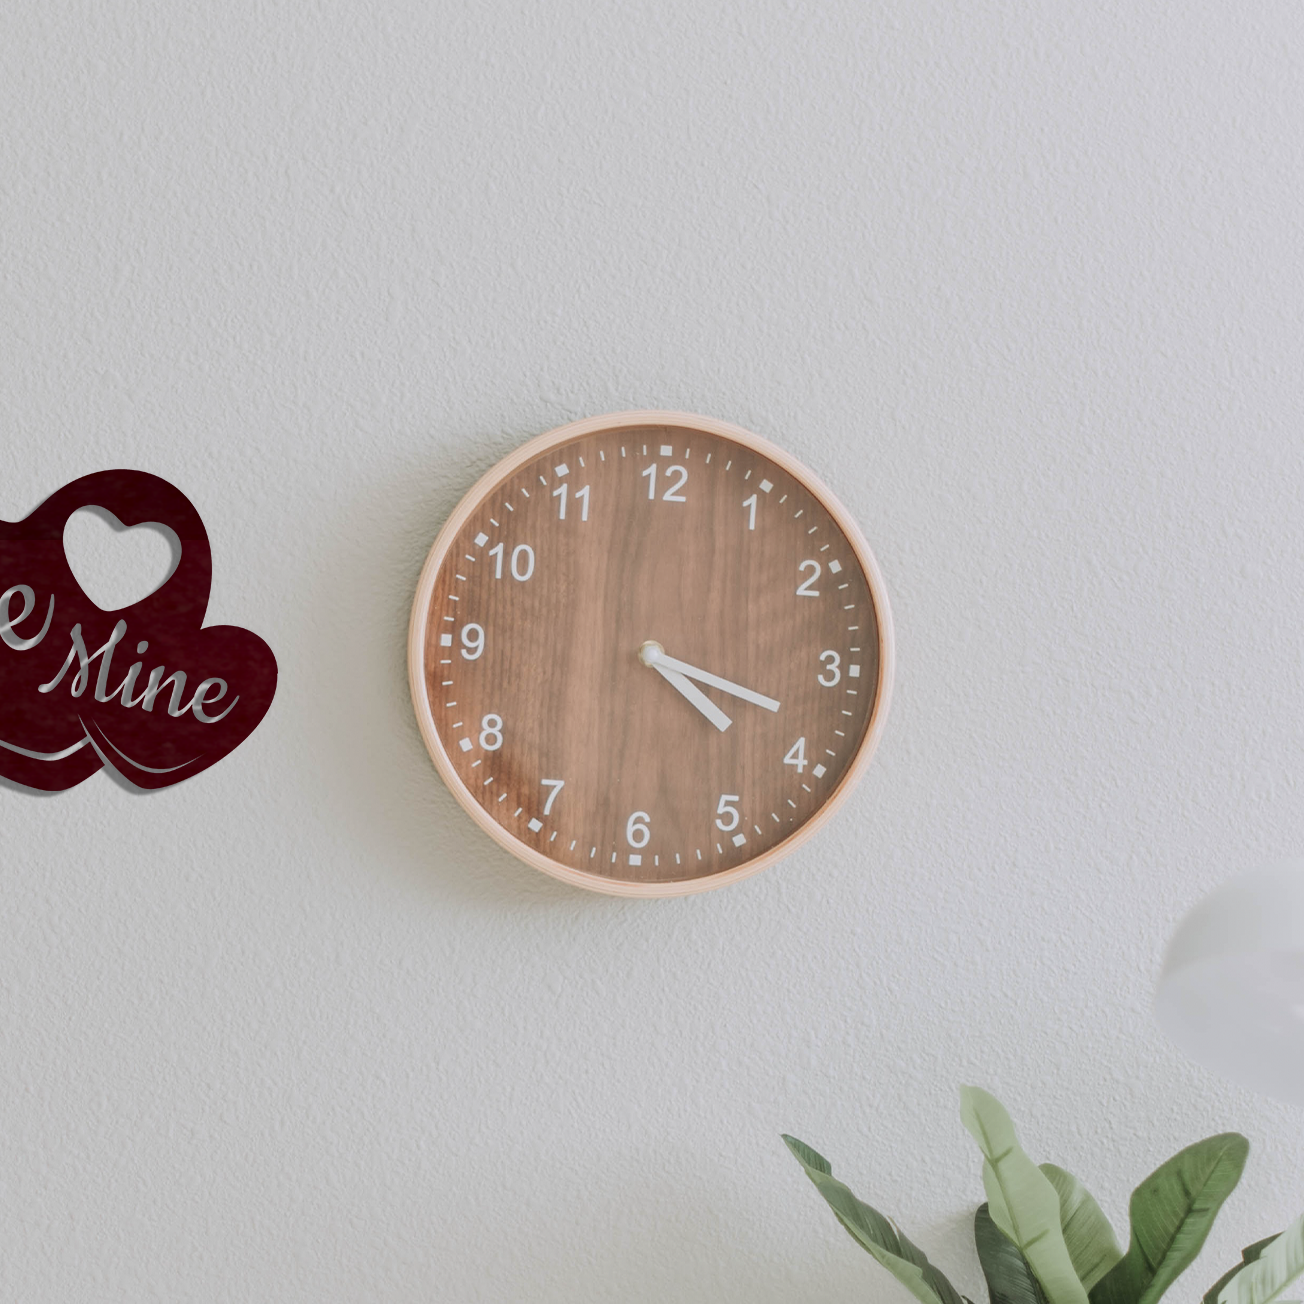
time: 4:18
